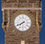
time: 7:40
